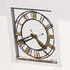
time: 4:41
